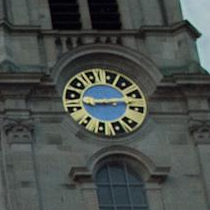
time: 8:12
